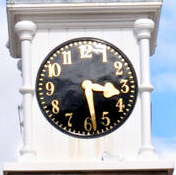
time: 3:28
